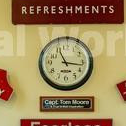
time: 11:16
